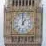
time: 12:59
